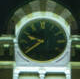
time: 9:38
